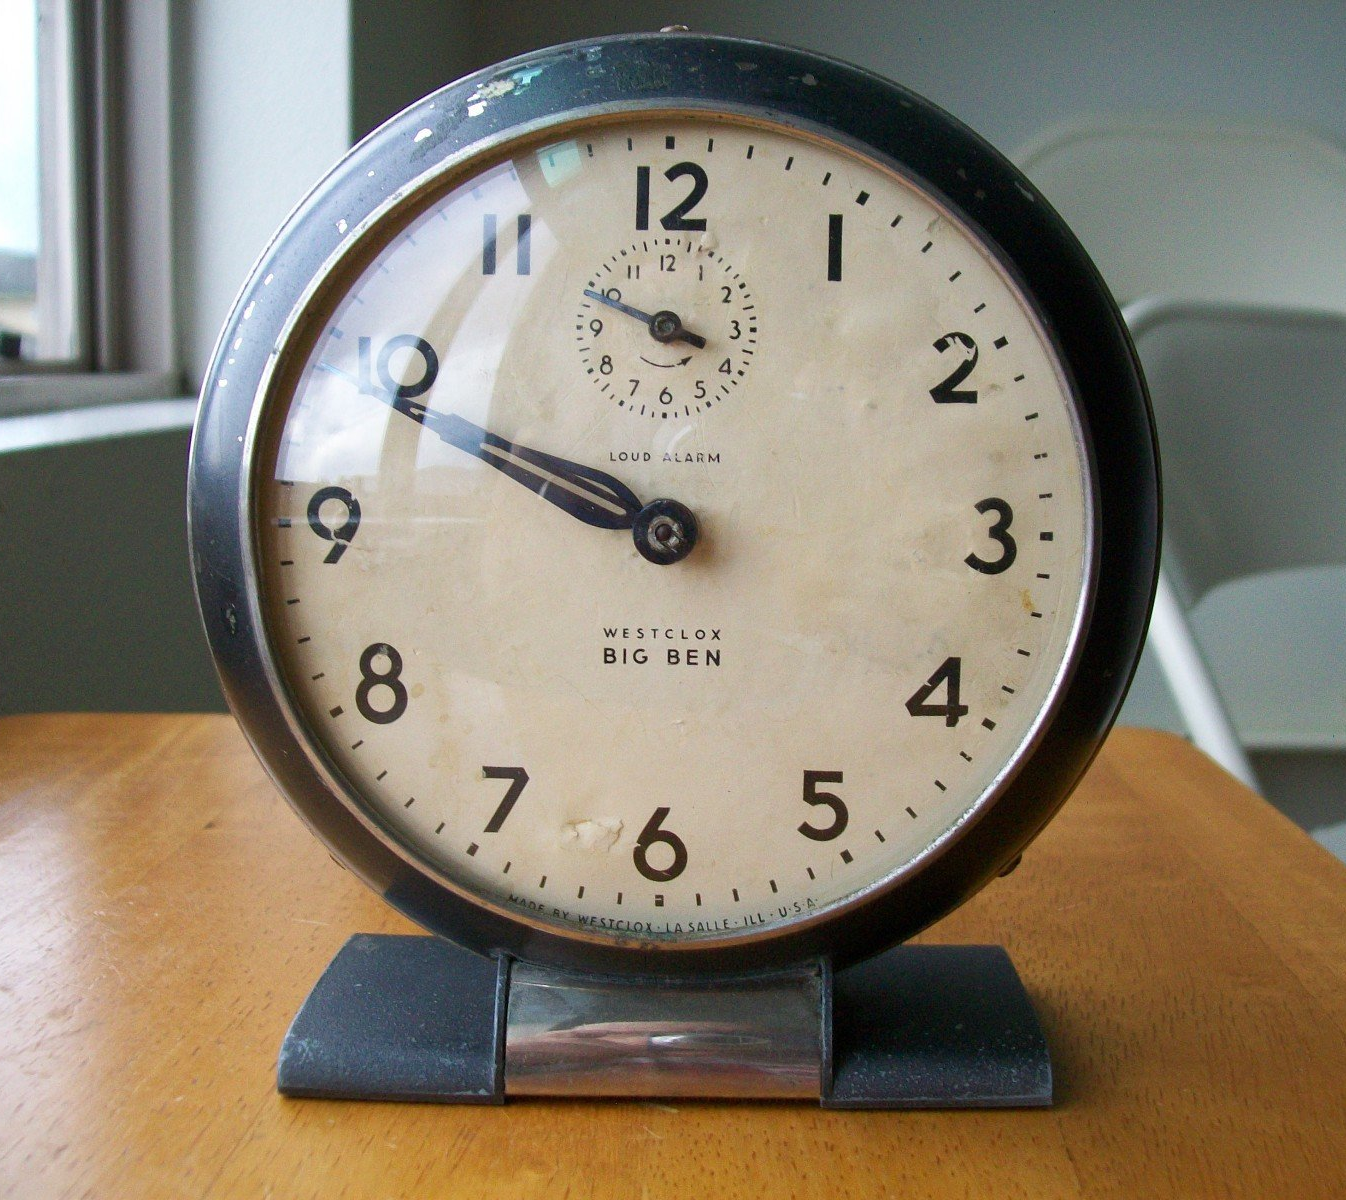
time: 9:48
